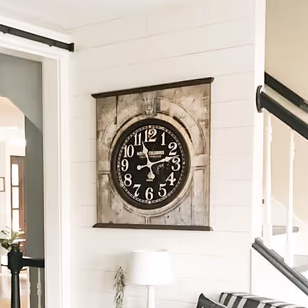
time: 11:12
